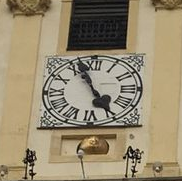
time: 4:56
